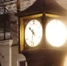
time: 10:32
